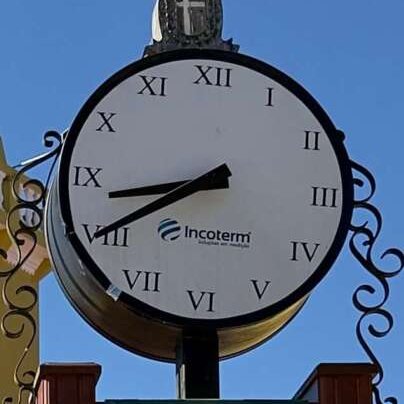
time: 8:40
